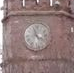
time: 11:21
